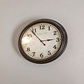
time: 2:53
